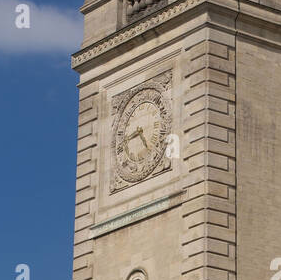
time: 4:42
